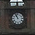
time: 10:56
